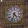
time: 4:33
